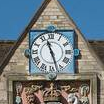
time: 11:27
